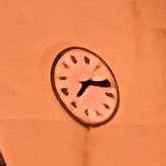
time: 7:12
